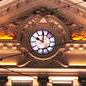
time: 10:00
